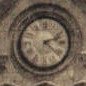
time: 2:21
